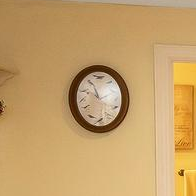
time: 9:56
